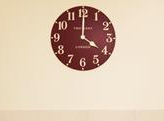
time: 4:00
